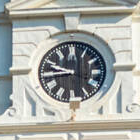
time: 9:43
